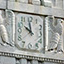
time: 9:58
